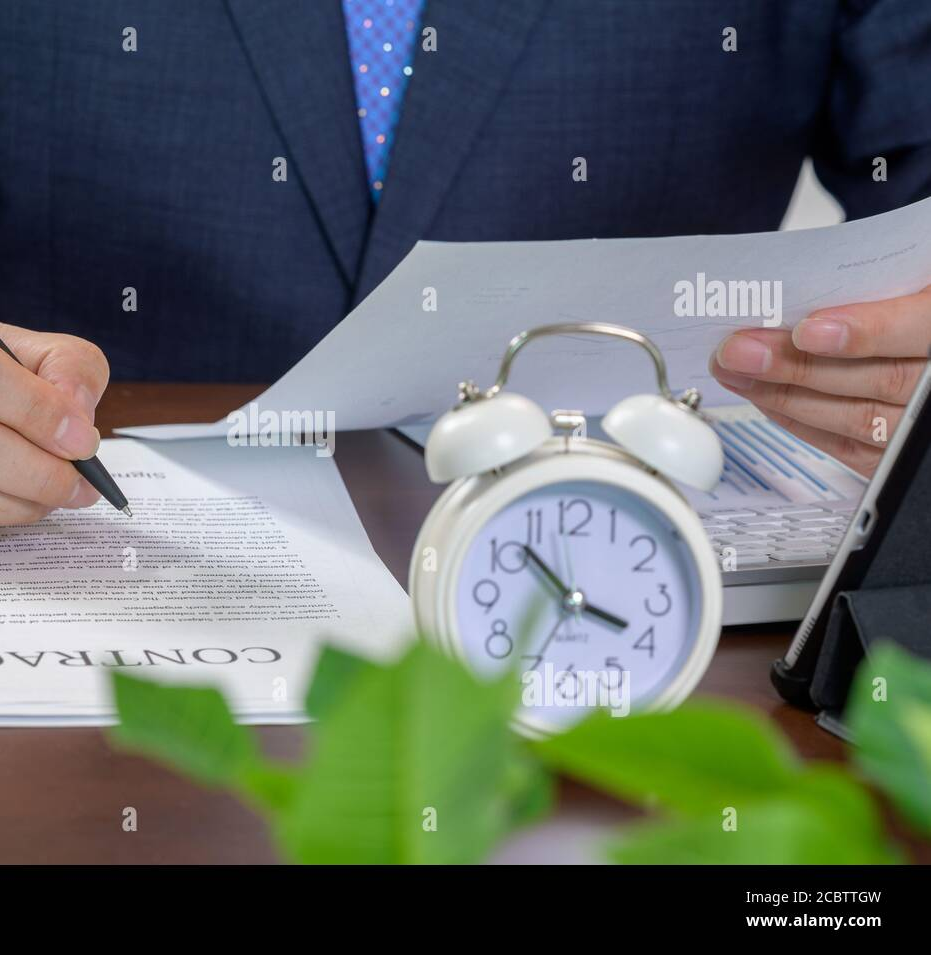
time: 3:52
